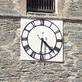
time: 4:31
